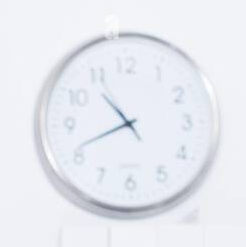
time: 10:41
